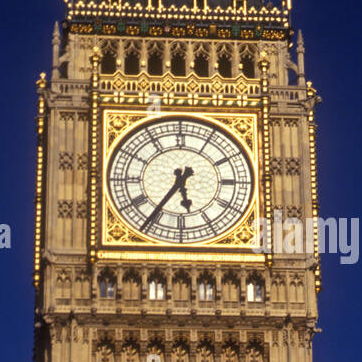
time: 5:35
